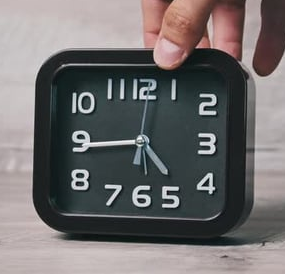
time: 4:44
